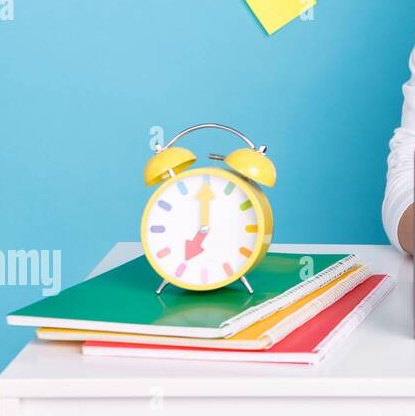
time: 7:00
